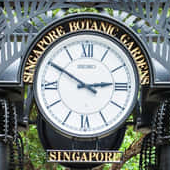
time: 2:50
